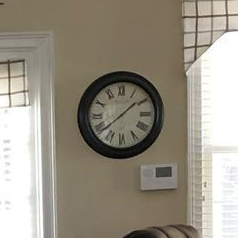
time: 1:38
